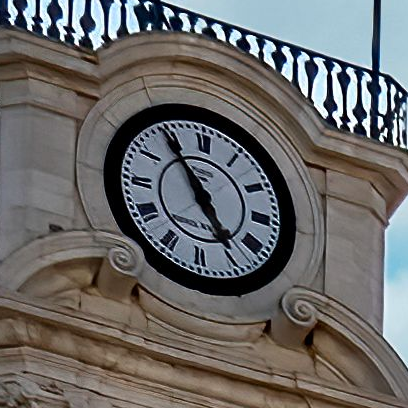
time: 4:54
